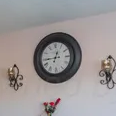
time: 12:44
